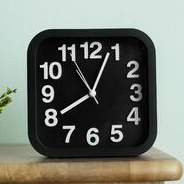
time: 8:03
